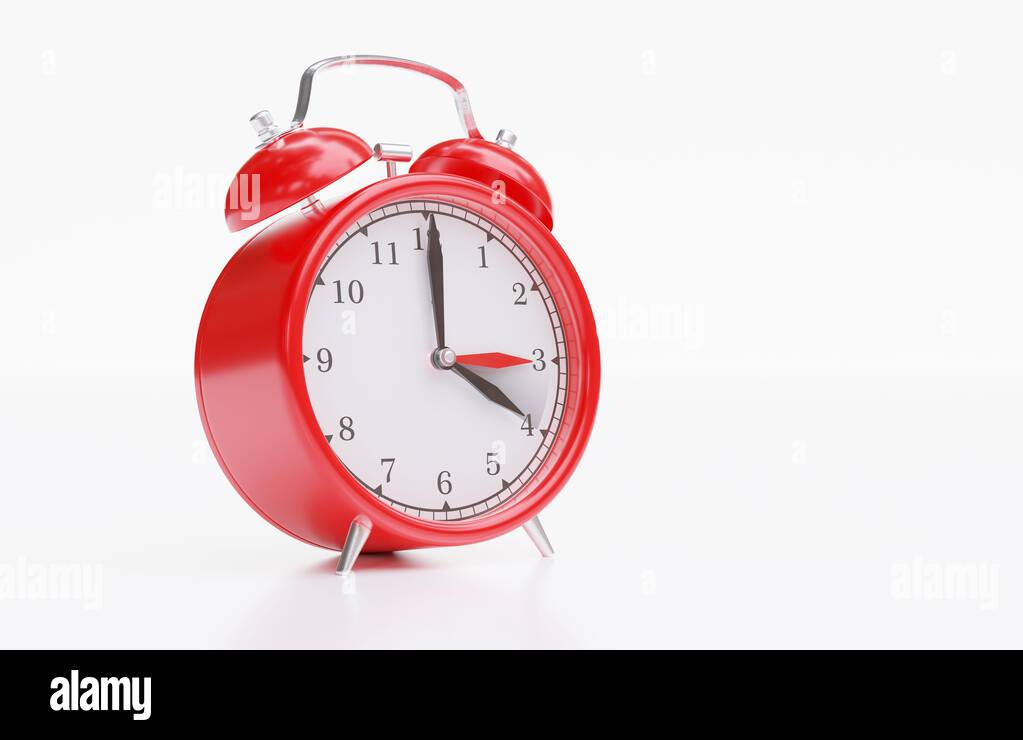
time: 4:00
